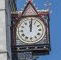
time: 12:01
